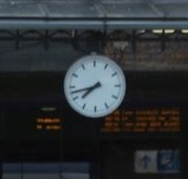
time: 7:42
